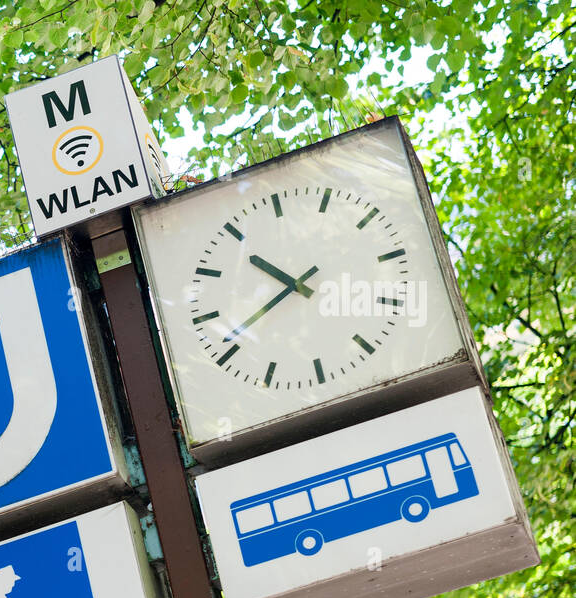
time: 10:41
